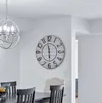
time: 5:58
